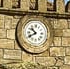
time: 10:40
